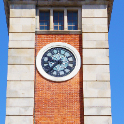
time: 9:37
